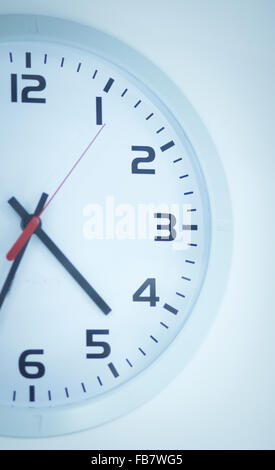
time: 4:35
